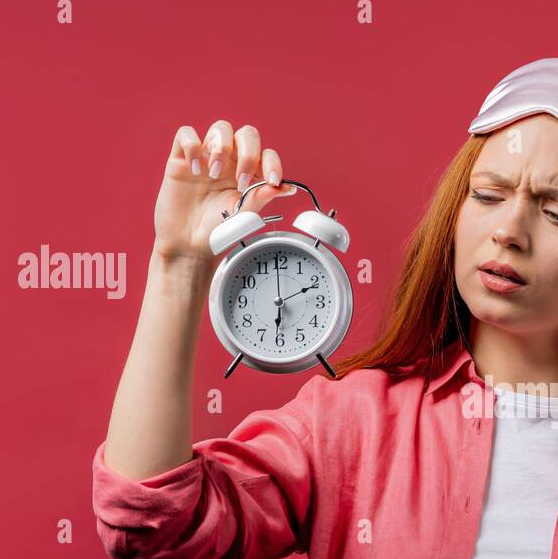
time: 6:10
